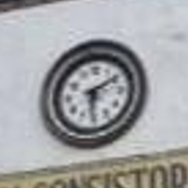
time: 6:10
